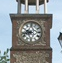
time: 9:42
